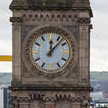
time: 12:07
